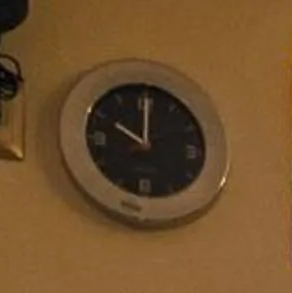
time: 10:00
